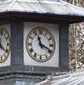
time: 11:19
